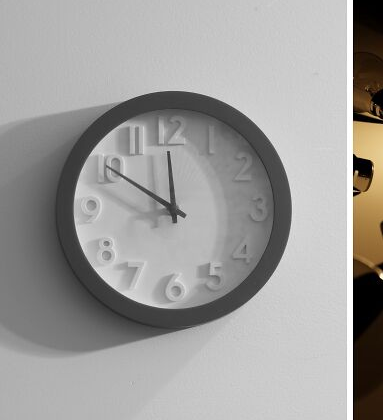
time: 11:50
